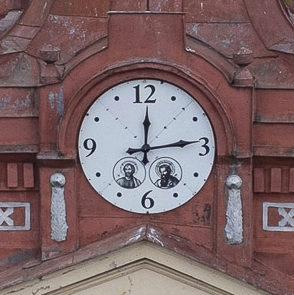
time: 12:13
